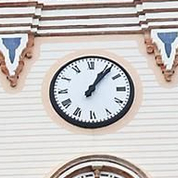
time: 1:06
